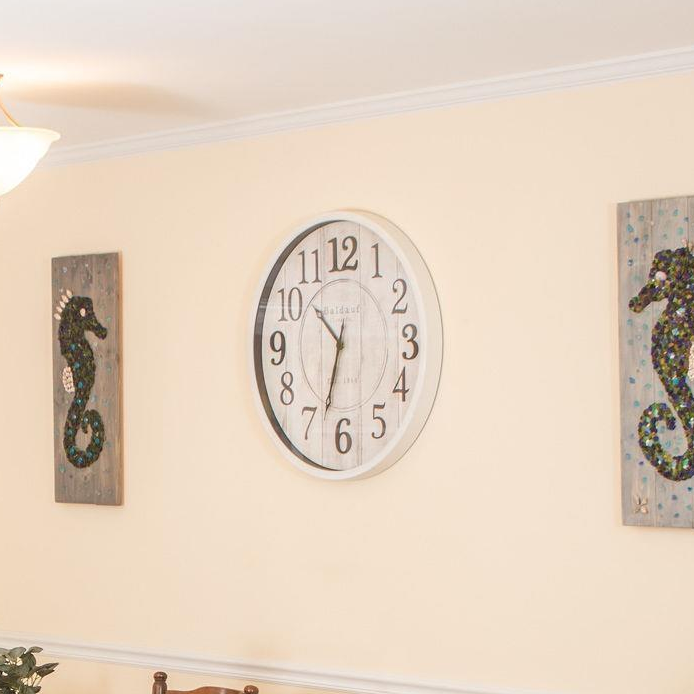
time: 10:32
